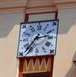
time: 2:36
